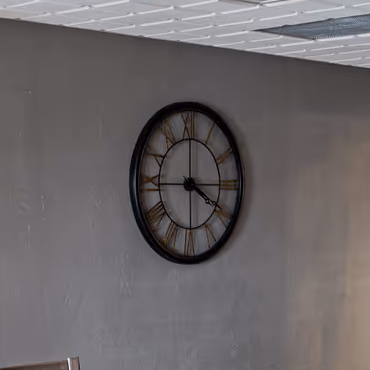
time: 4:00
